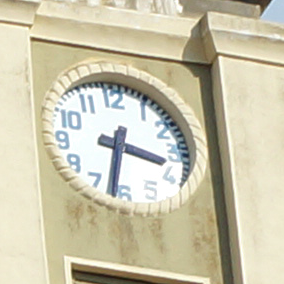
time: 3:32
